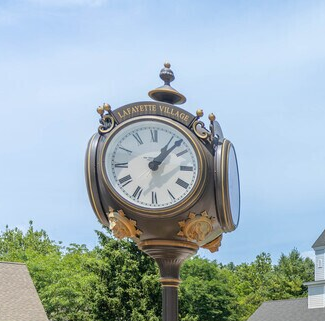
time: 1:07
